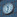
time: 11:32
